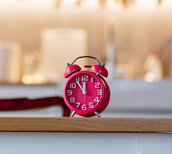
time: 11:53
